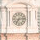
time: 7:13
